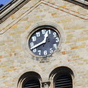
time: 12:40
